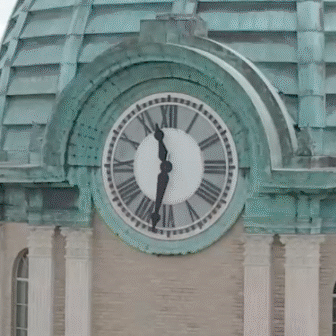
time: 11:32
